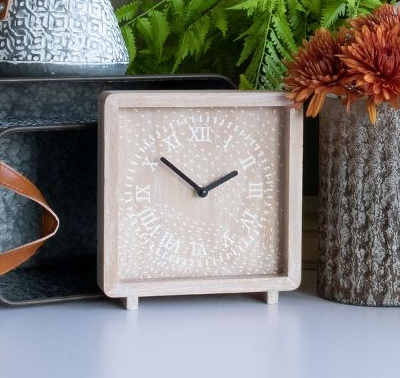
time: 1:51
